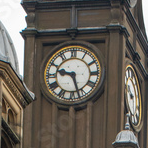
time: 9:27
